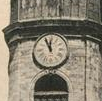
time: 11:55
